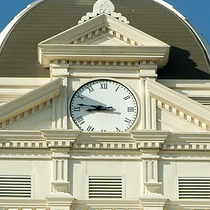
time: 8:46
